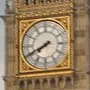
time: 7:40
